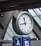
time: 11:42
